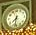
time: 7:32
